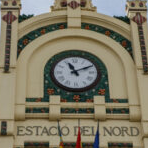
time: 11:10
